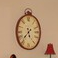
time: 5:36
